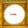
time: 8:48
